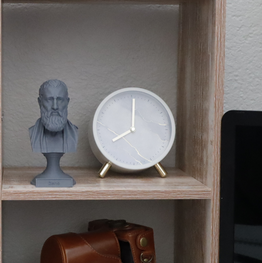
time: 8:00
